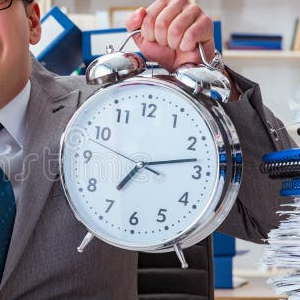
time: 7:13
